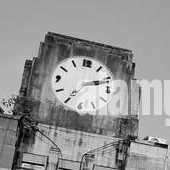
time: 7:11
